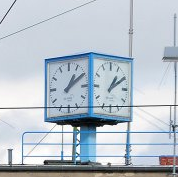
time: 1:09
